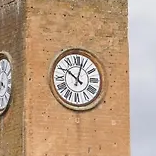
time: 10:03
